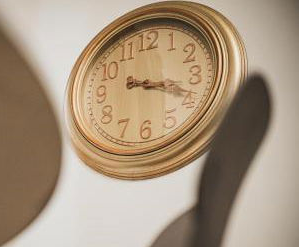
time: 3:18
